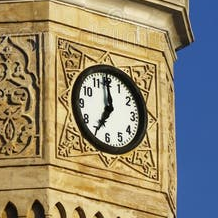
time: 6:59
